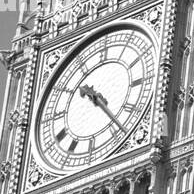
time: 10:23
